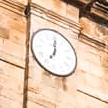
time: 7:00
